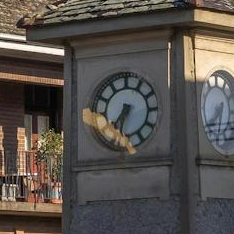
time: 7:32
